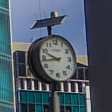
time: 9:43
